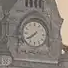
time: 7:39
